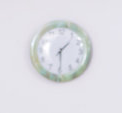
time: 1:29
